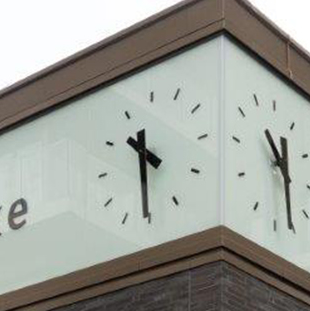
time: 4:30
